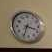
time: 3:33
